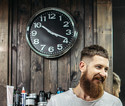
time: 3:50
